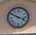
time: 3:50
